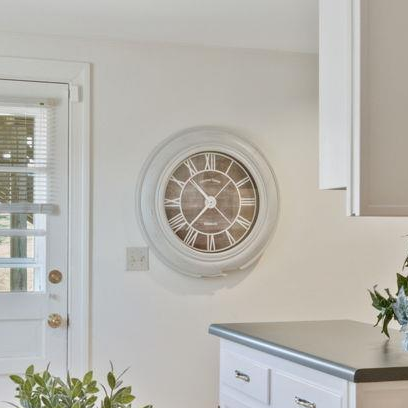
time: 10:36
